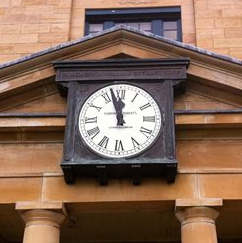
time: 11:57
